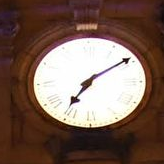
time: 7:09
